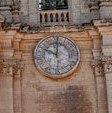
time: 10:00
